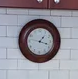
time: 1:18
